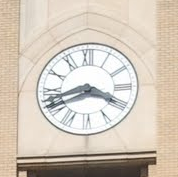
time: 3:42
